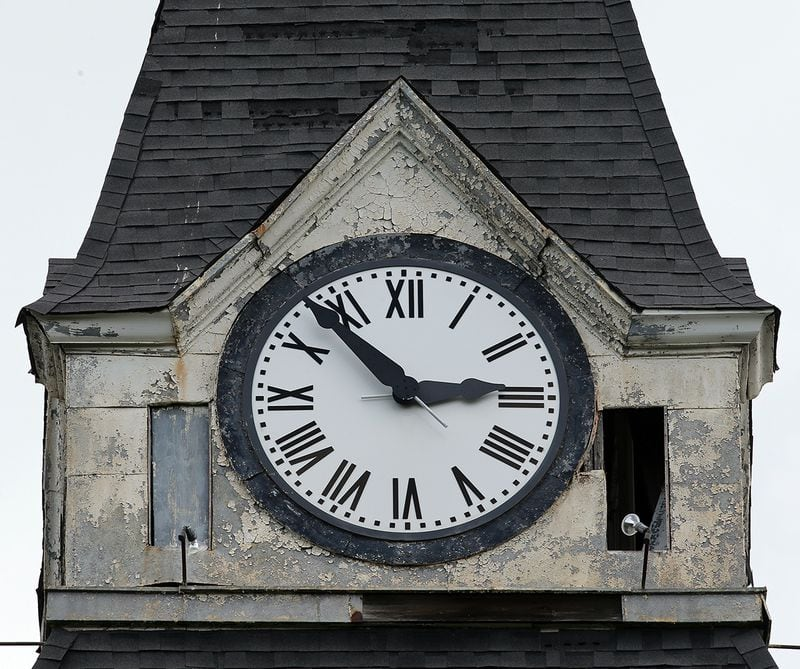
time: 2:53
